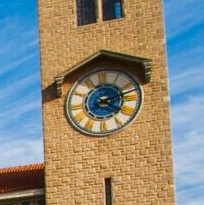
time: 4:11
